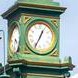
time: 12:34
